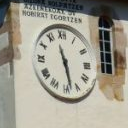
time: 11:28
